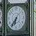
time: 6:36
